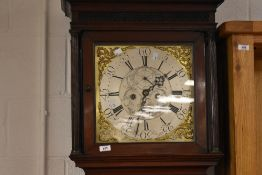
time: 1:33
